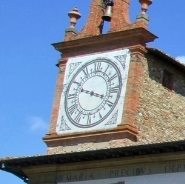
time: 3:48
